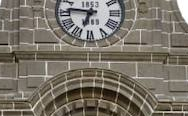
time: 6:46
